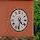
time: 4:31
